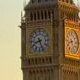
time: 8:26
